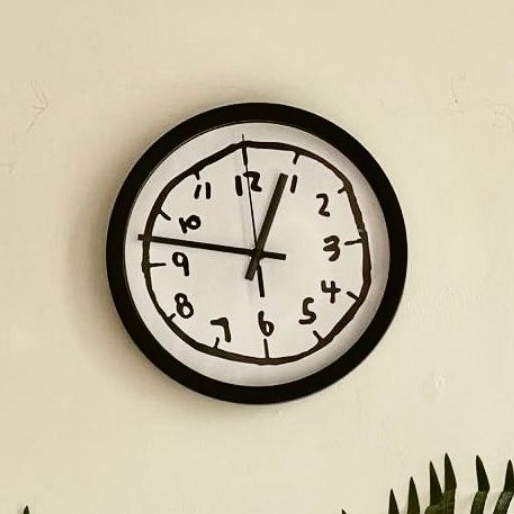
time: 12:47
